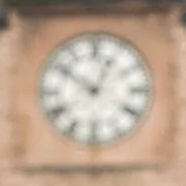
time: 12:51
